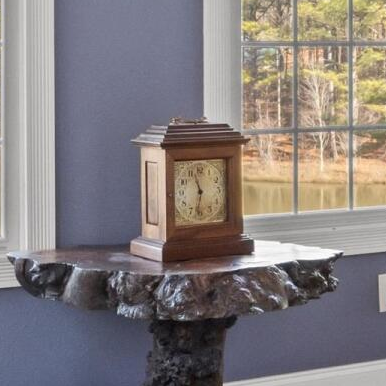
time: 11:32
